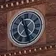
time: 11:27
